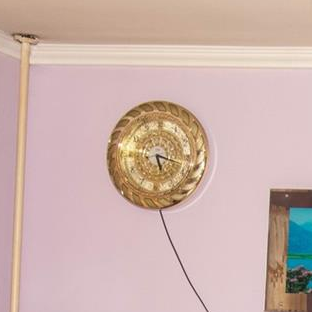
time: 5:17
